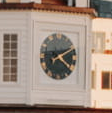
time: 2:21
